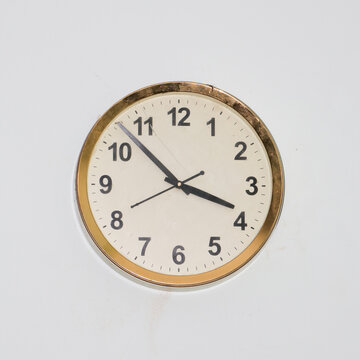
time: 3:52
